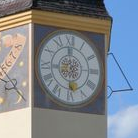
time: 5:59
